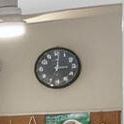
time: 3:00
